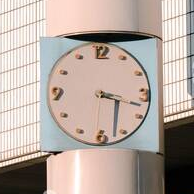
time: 3:17
